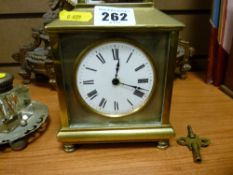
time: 12:18
